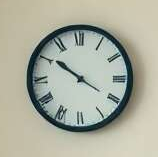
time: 10:20
